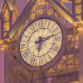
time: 6:12
